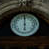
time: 6:00
